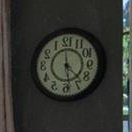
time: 4:28
